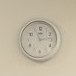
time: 11:13
